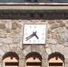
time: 4:38
